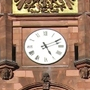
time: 5:10
